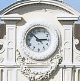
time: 2:52
